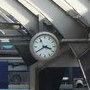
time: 3:40
